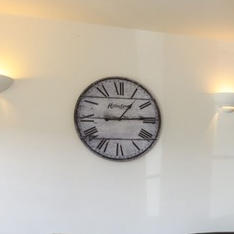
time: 1:14
